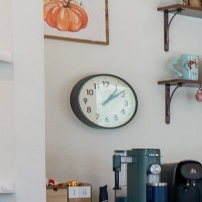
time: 1:08
